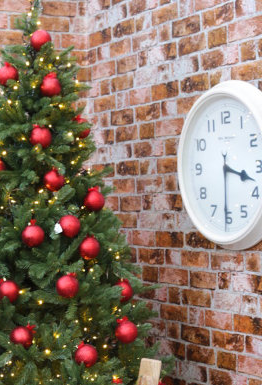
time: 3:30
